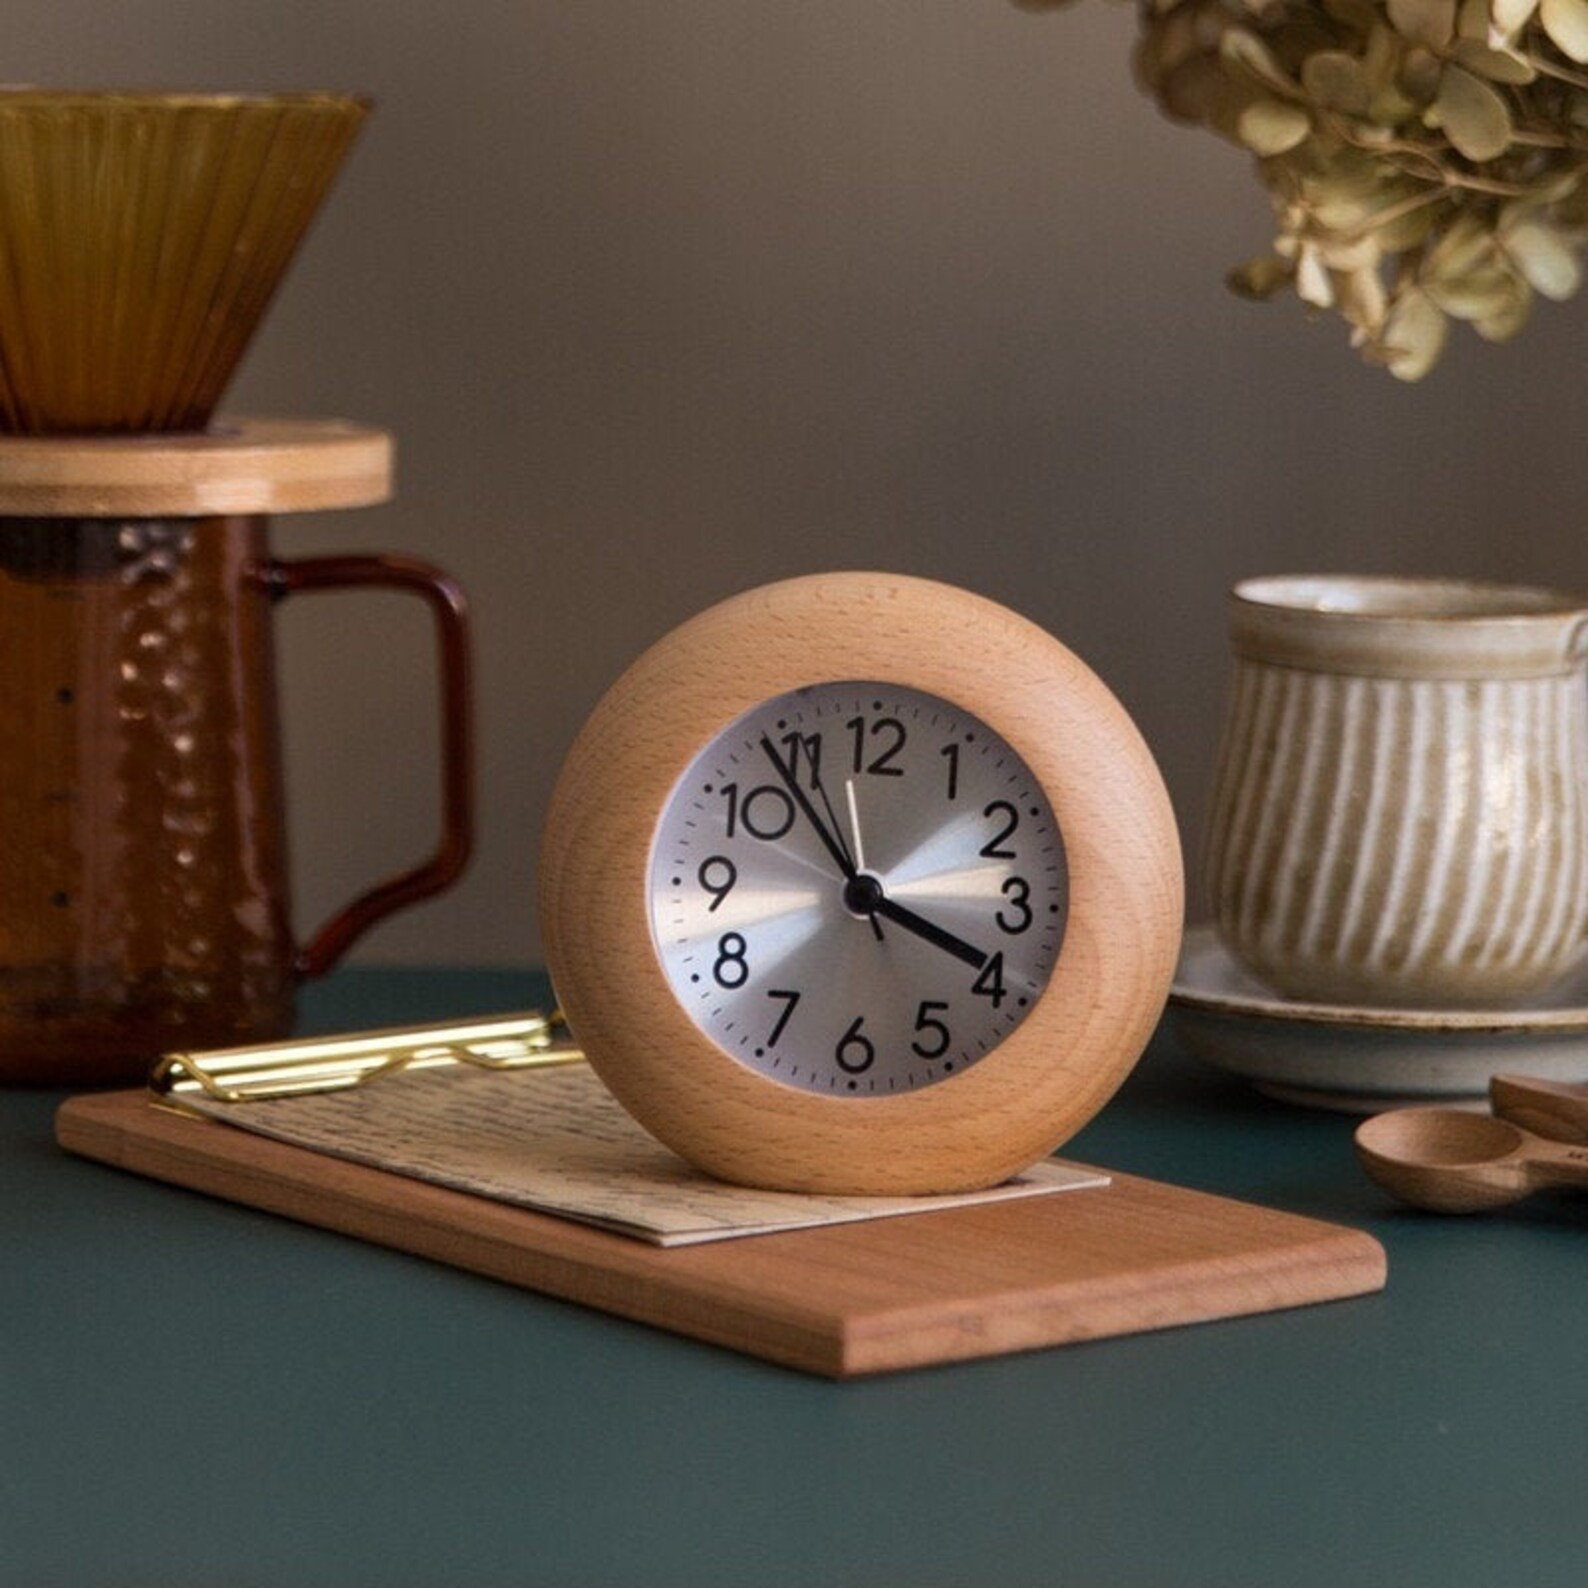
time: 3:53
